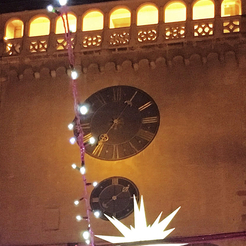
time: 7:05
